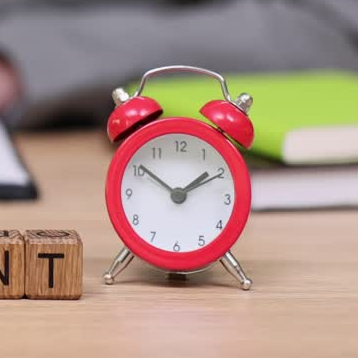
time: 1:50
